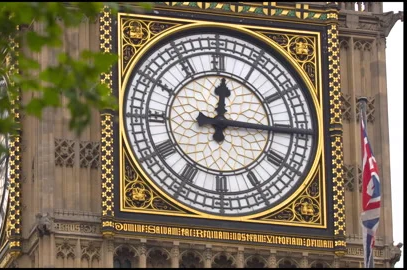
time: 12:15
